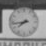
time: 7:43
